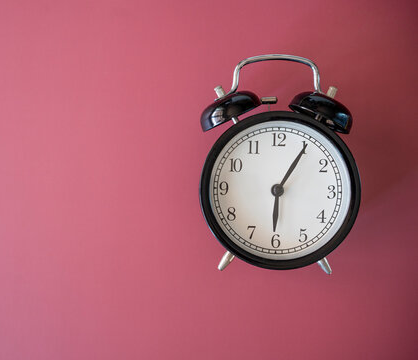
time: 6:05
